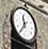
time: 11:35
